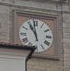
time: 10:58
